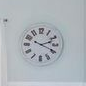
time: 2:18
